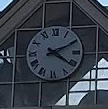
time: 4:10
